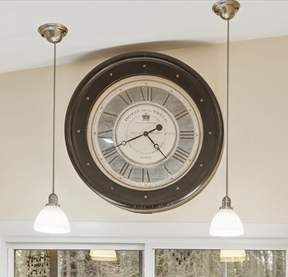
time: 4:40
